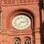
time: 7:13
